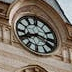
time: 8:17
